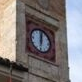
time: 12:01
